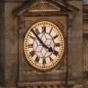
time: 3:52
